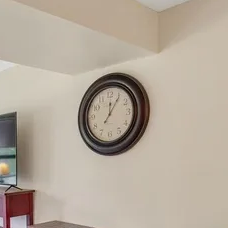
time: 12:05
